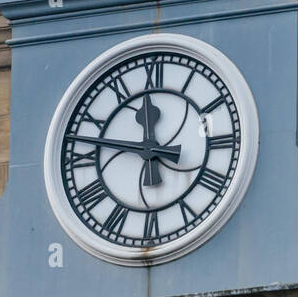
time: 11:46
